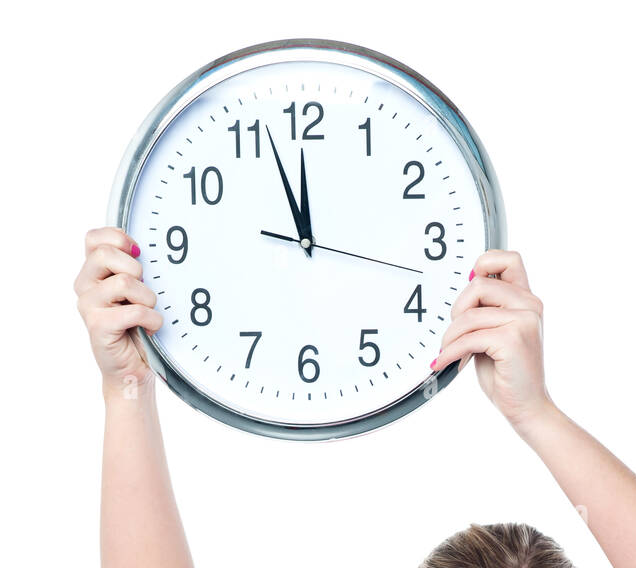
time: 11:56
